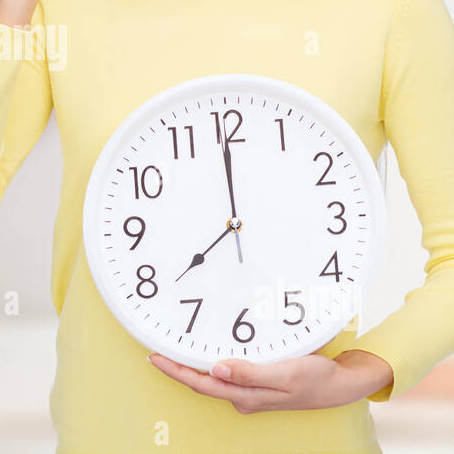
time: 11:59
